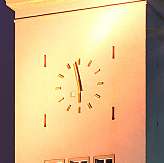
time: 5:58
